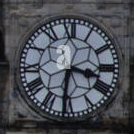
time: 3:31
